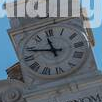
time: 11:48
